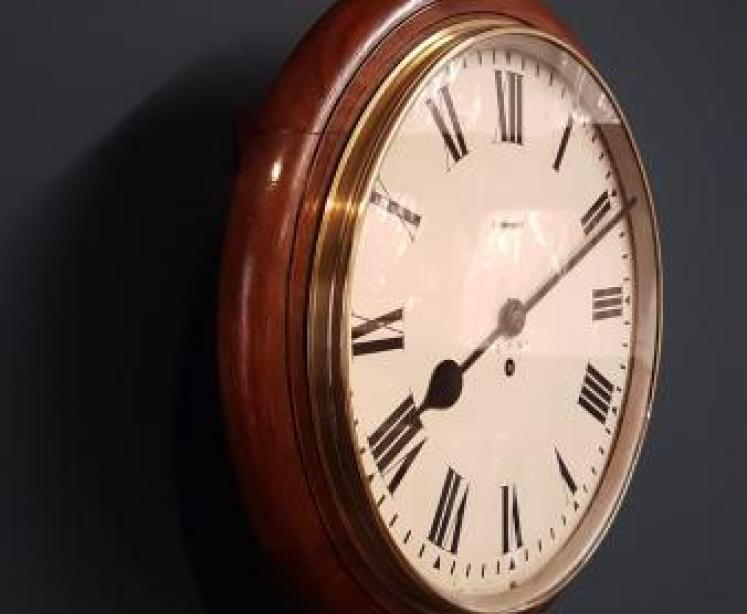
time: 8:11
